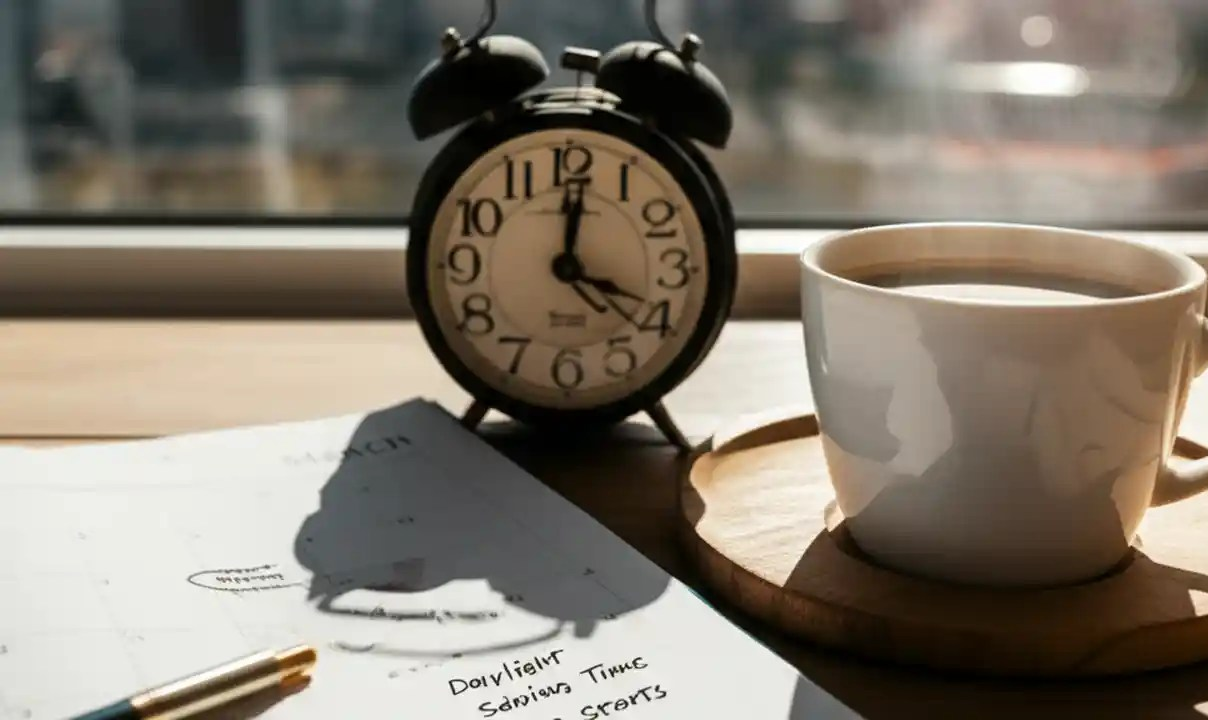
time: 4:01
